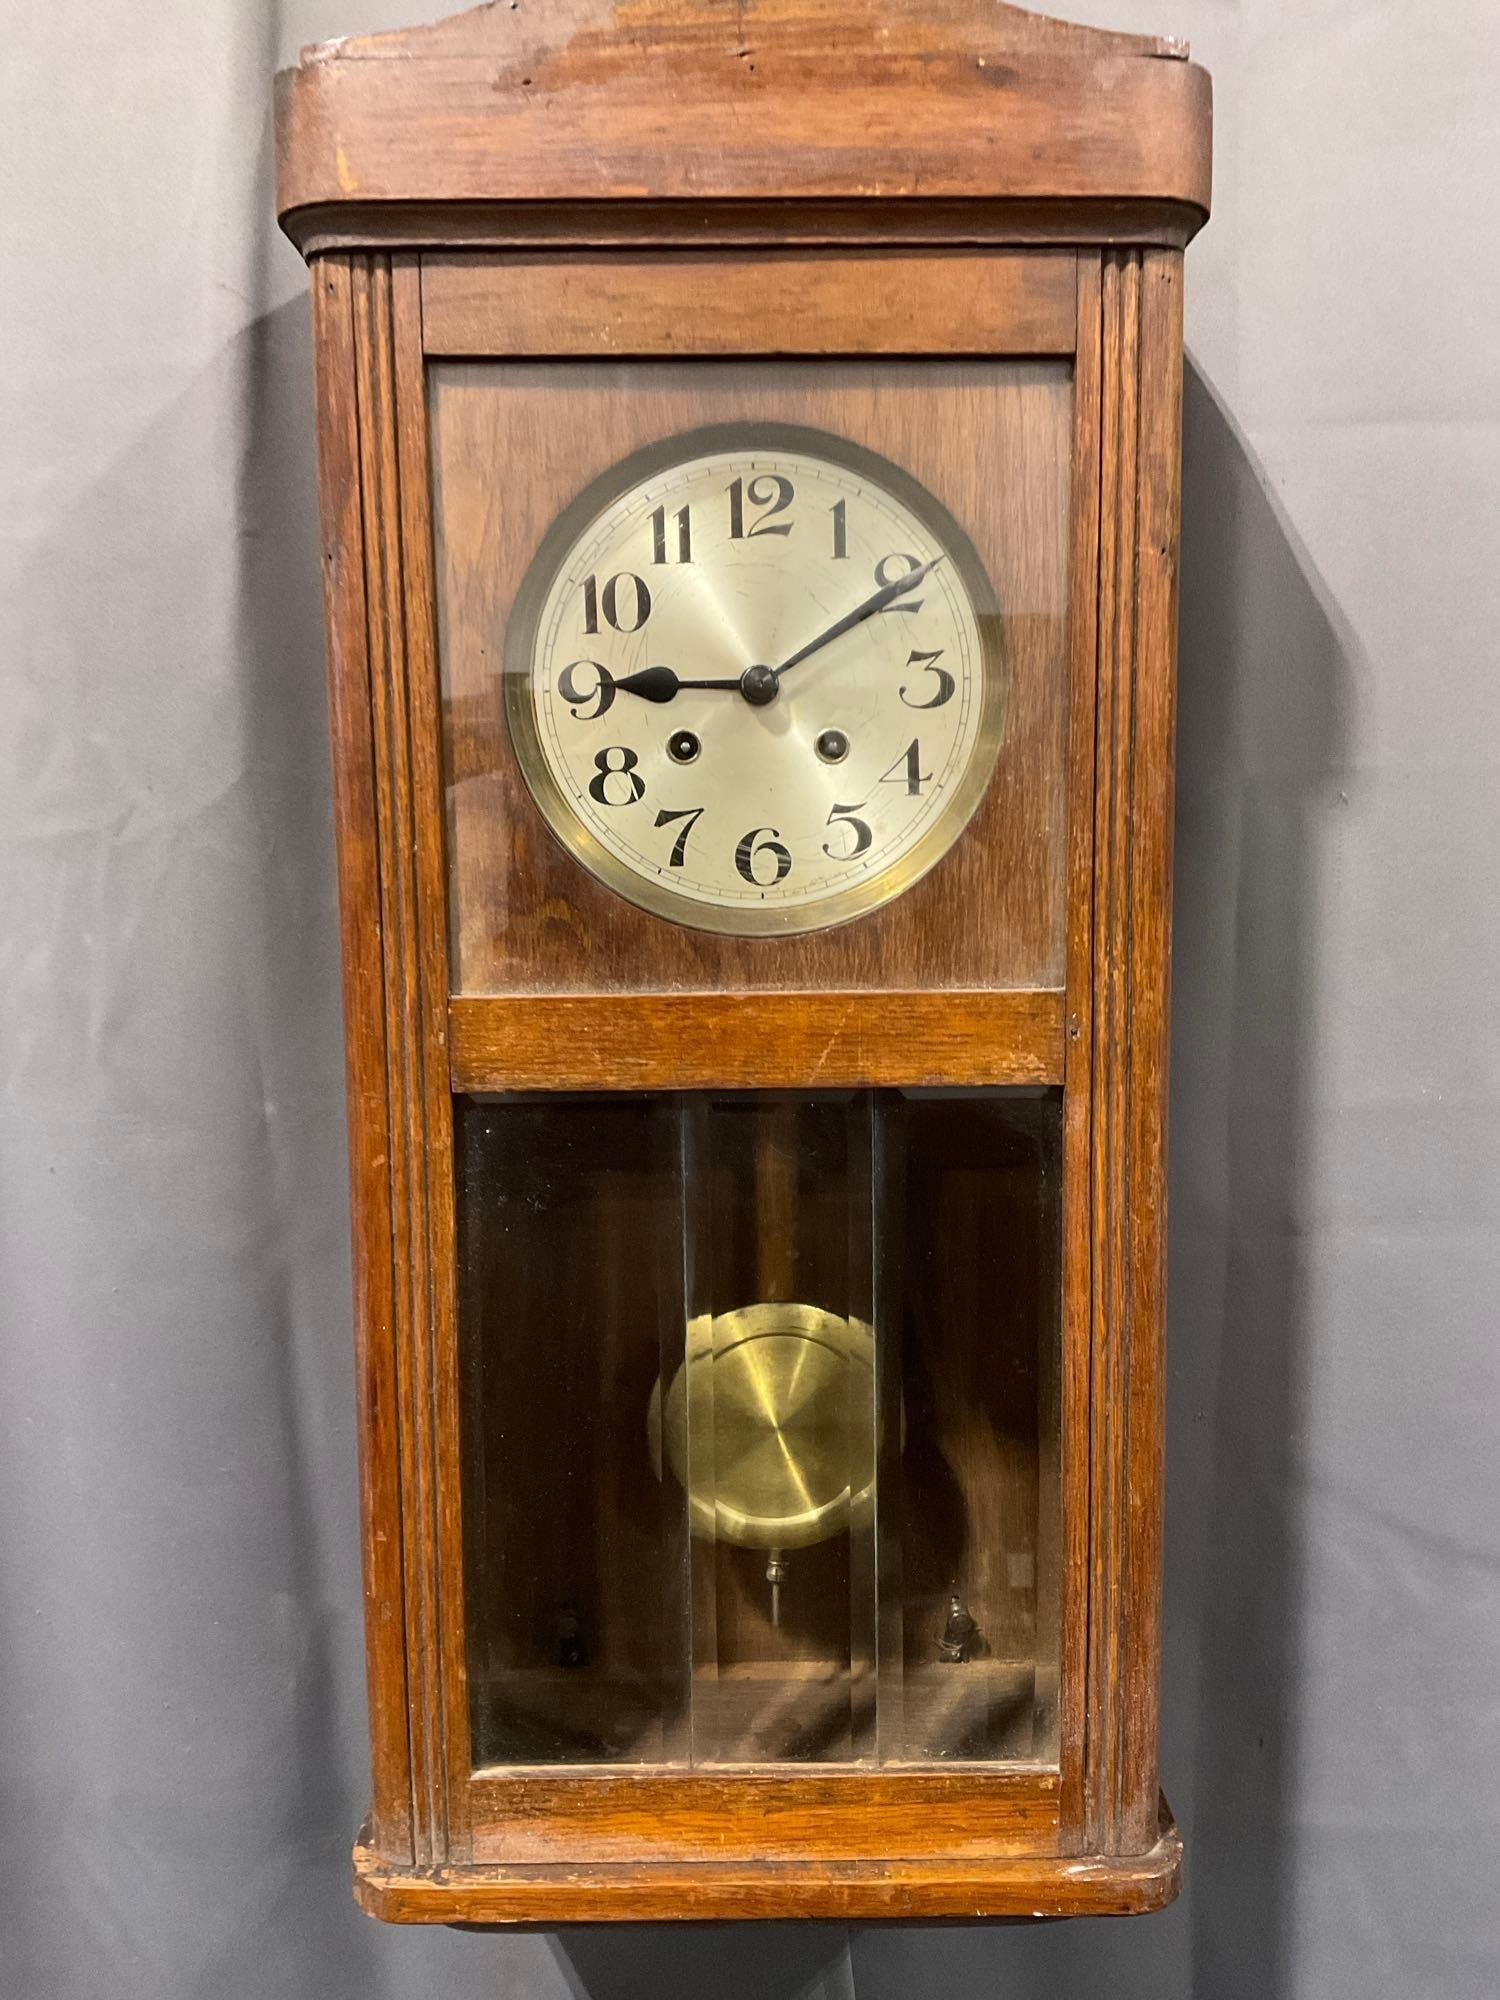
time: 9:10
